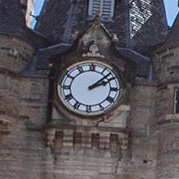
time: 2:08
